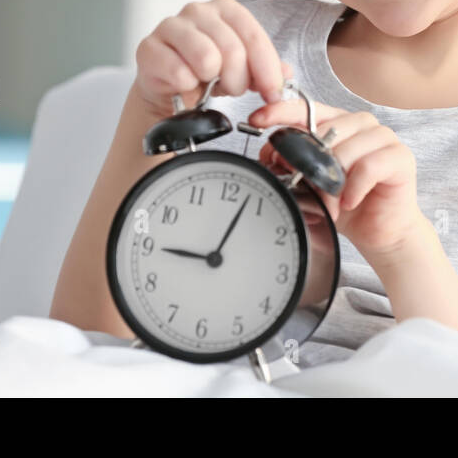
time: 9:03
